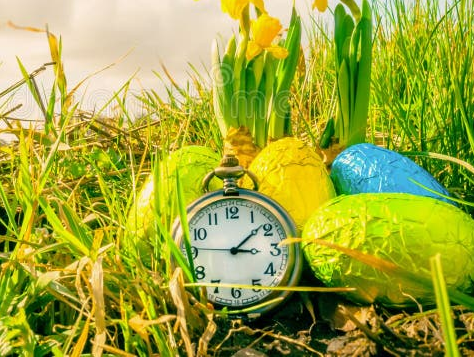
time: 3:08
